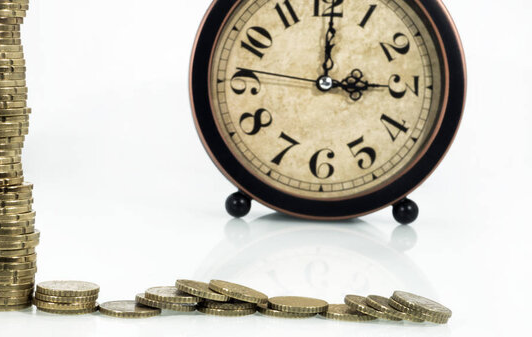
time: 3:00
